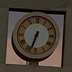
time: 6:33
